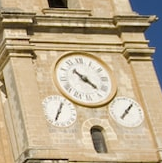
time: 4:22
